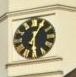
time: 6:04
